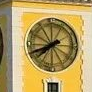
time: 7:41
